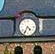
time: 4:34
